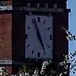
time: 4:56
